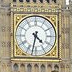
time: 4:32
